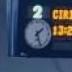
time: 1:26
